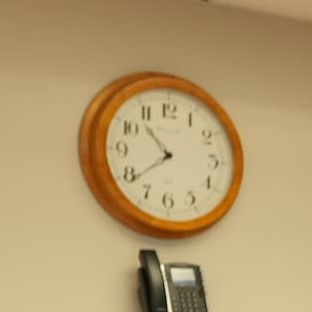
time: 10:38
